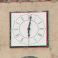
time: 6:01
